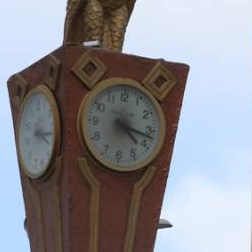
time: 4:17
